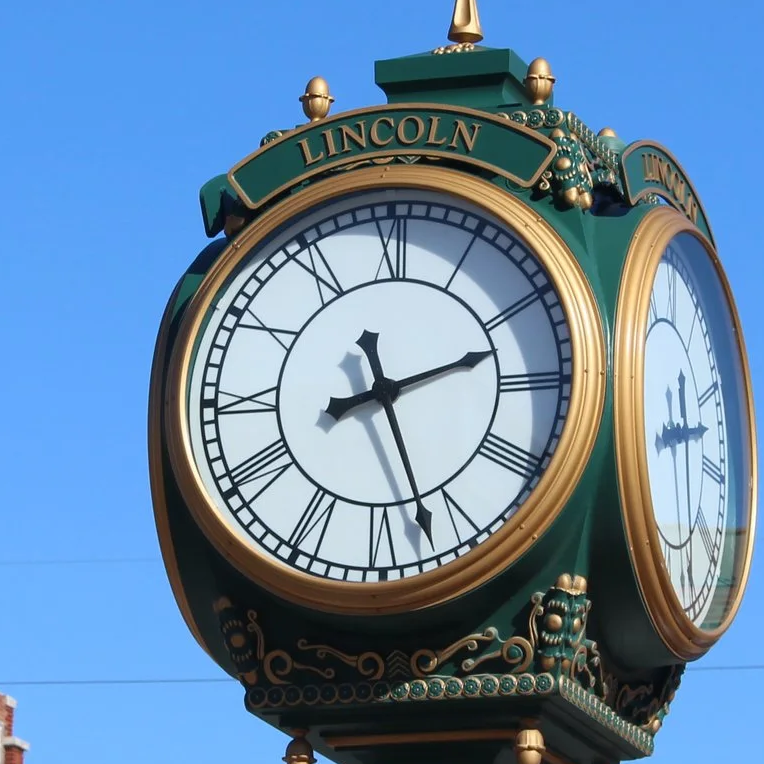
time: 2:26
